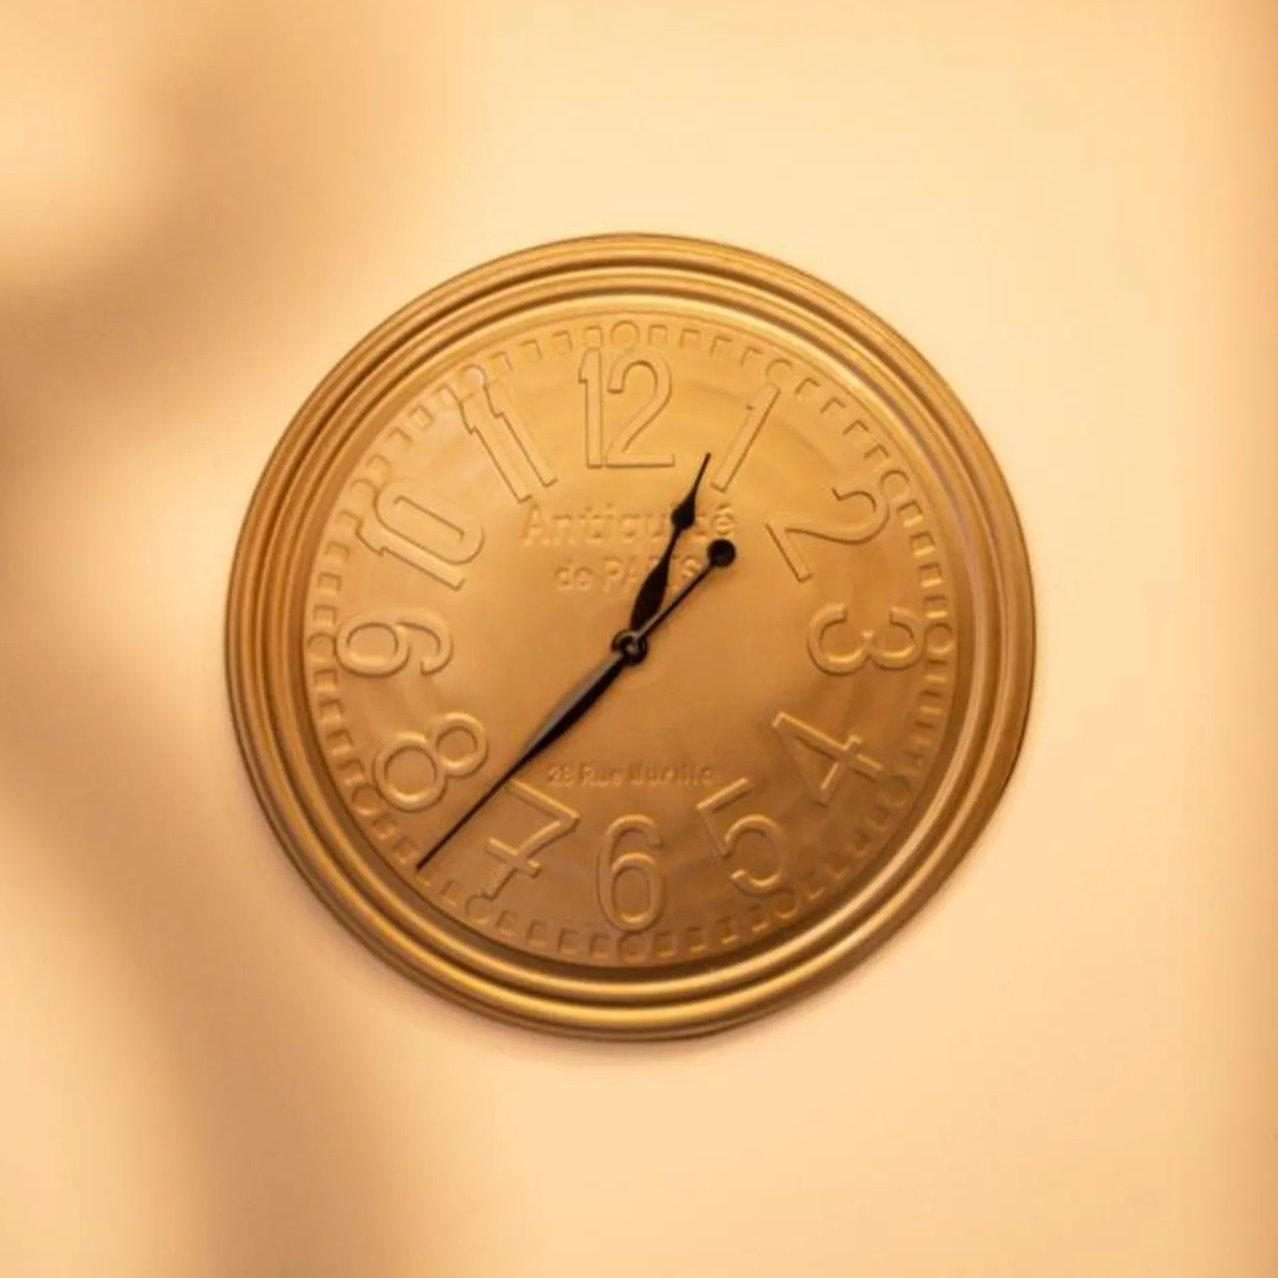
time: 12:37
